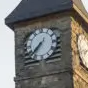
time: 7:37
